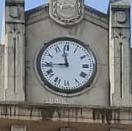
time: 11:44
